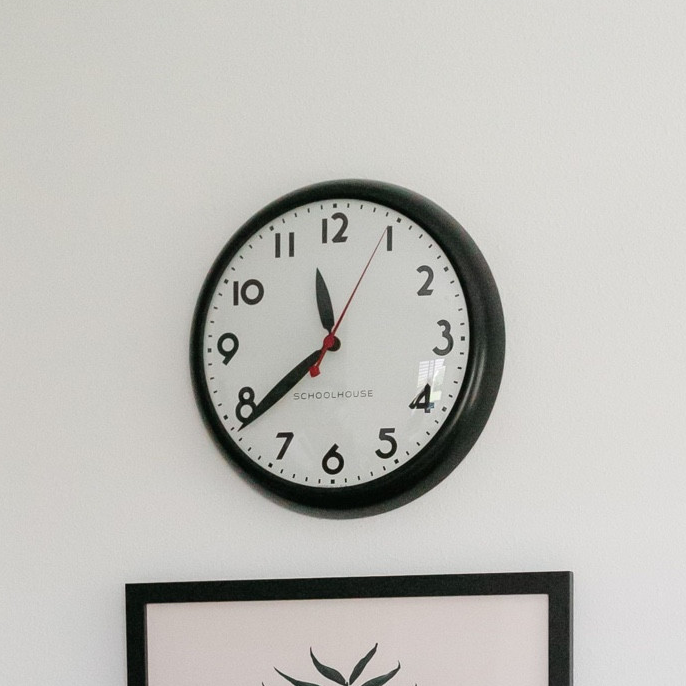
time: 11:38
